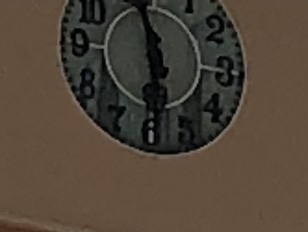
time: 11:29
